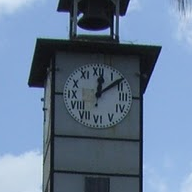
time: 12:08
